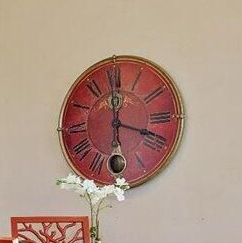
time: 12:18
